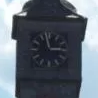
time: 2:58
